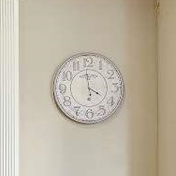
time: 3:59
